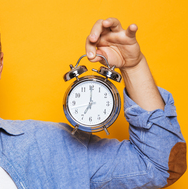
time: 7:00
